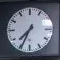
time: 7:34
